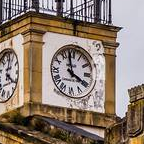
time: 3:58
